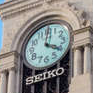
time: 4:00
